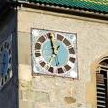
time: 12:58
